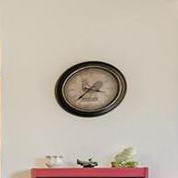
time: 3:37
